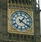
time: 1:20
